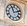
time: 11:11
